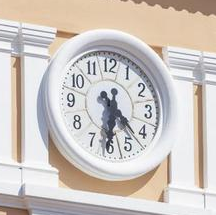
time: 4:31
